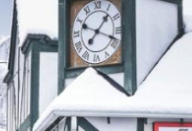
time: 1:18
